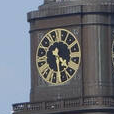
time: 4:28
